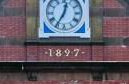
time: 12:34
